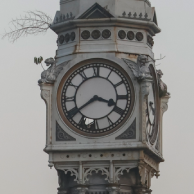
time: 3:39
